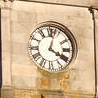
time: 4:02
